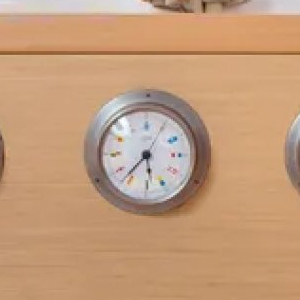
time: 5:36
